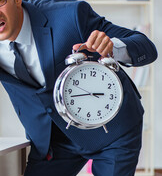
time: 2:42
